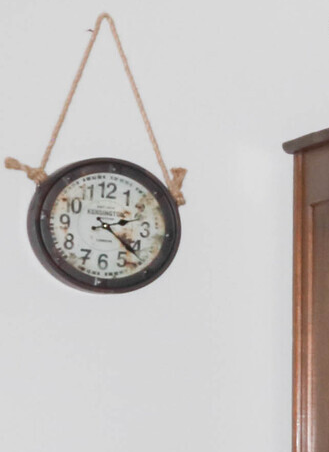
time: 2:22
